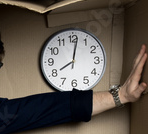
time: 8:01
